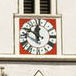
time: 11:50
